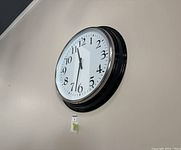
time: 11:32
